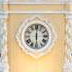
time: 6:00
